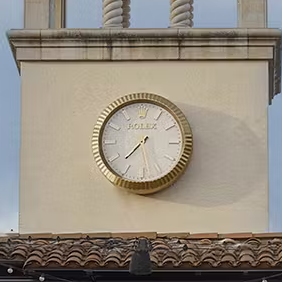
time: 7:28
